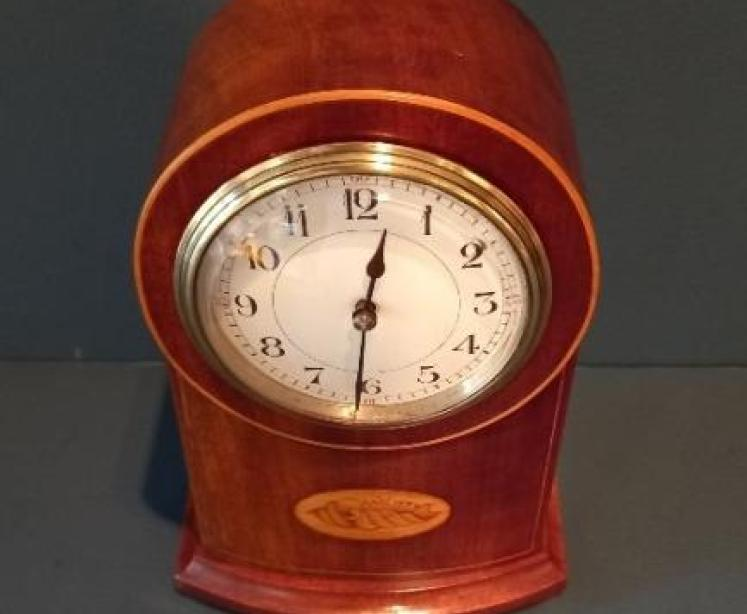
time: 12:31
